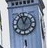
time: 12:57
